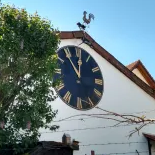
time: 11:01
